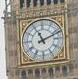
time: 11:11
